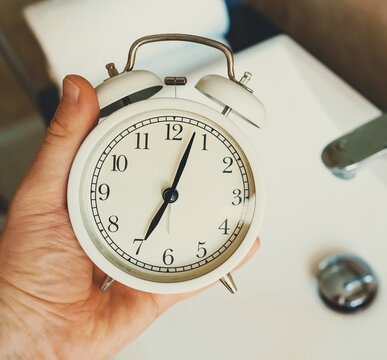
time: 7:03
